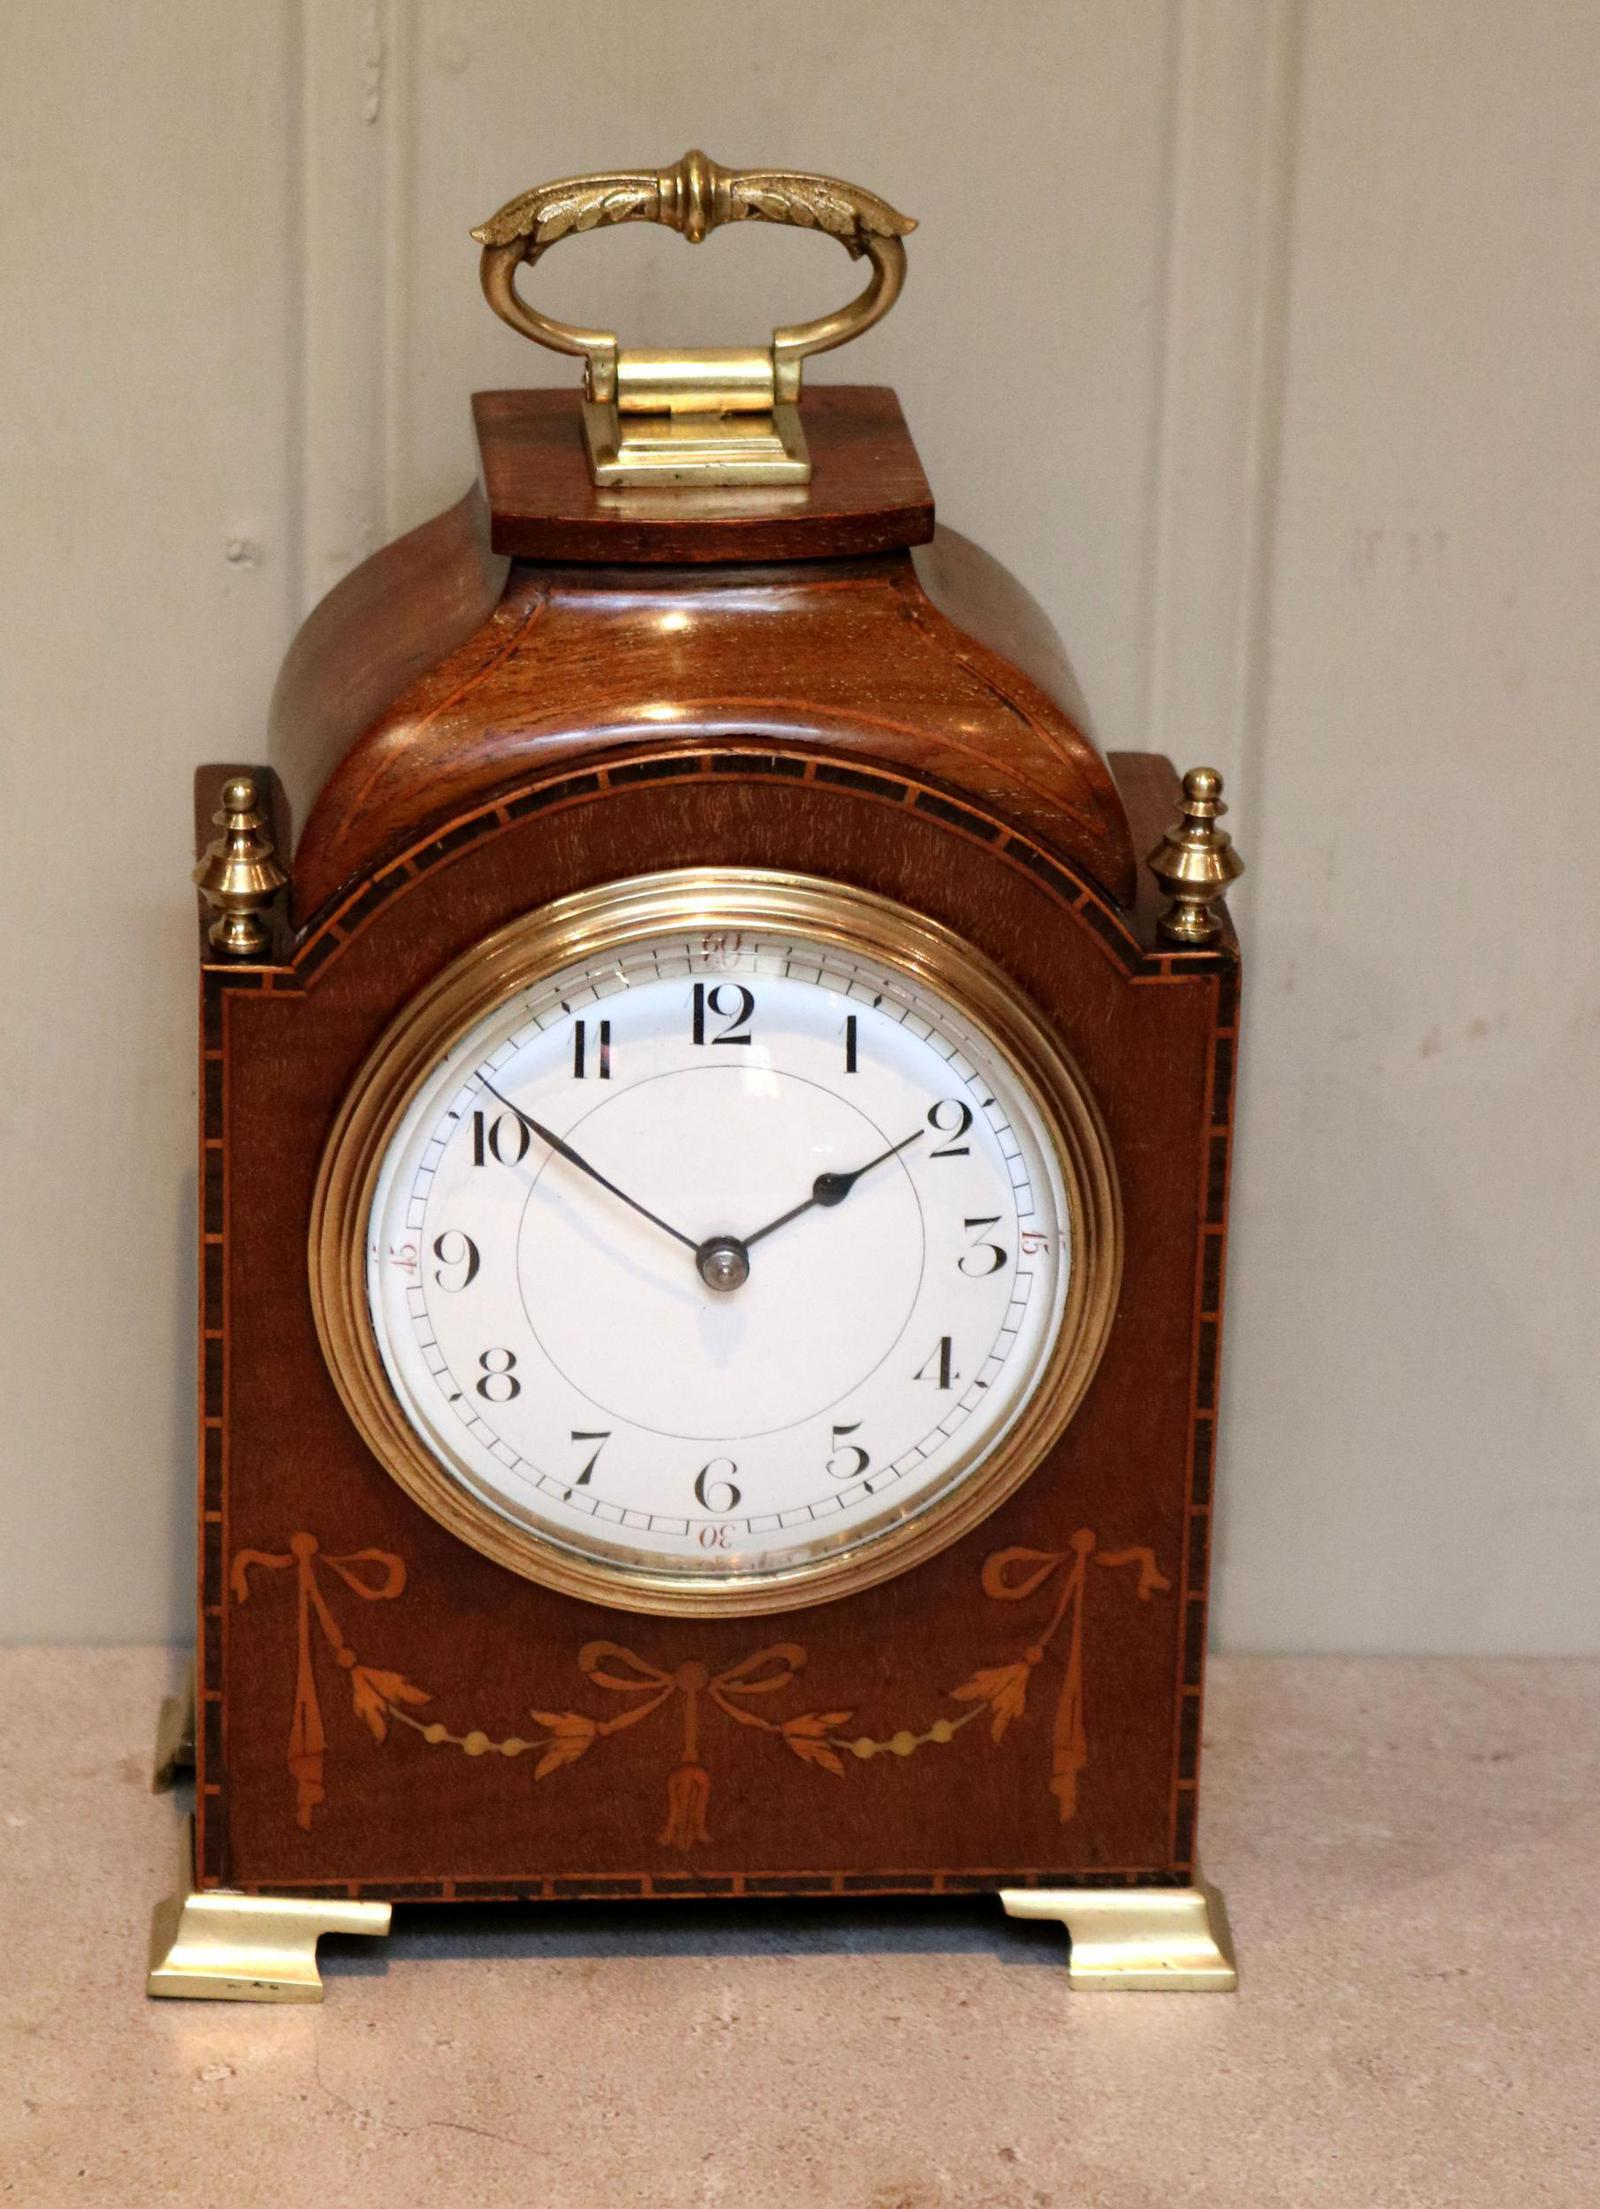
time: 1:51
